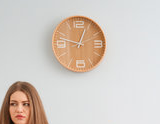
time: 12:47
